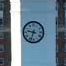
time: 9:33
